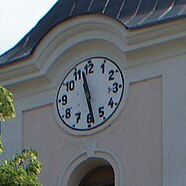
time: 11:28
